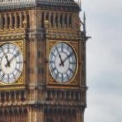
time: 11:08
